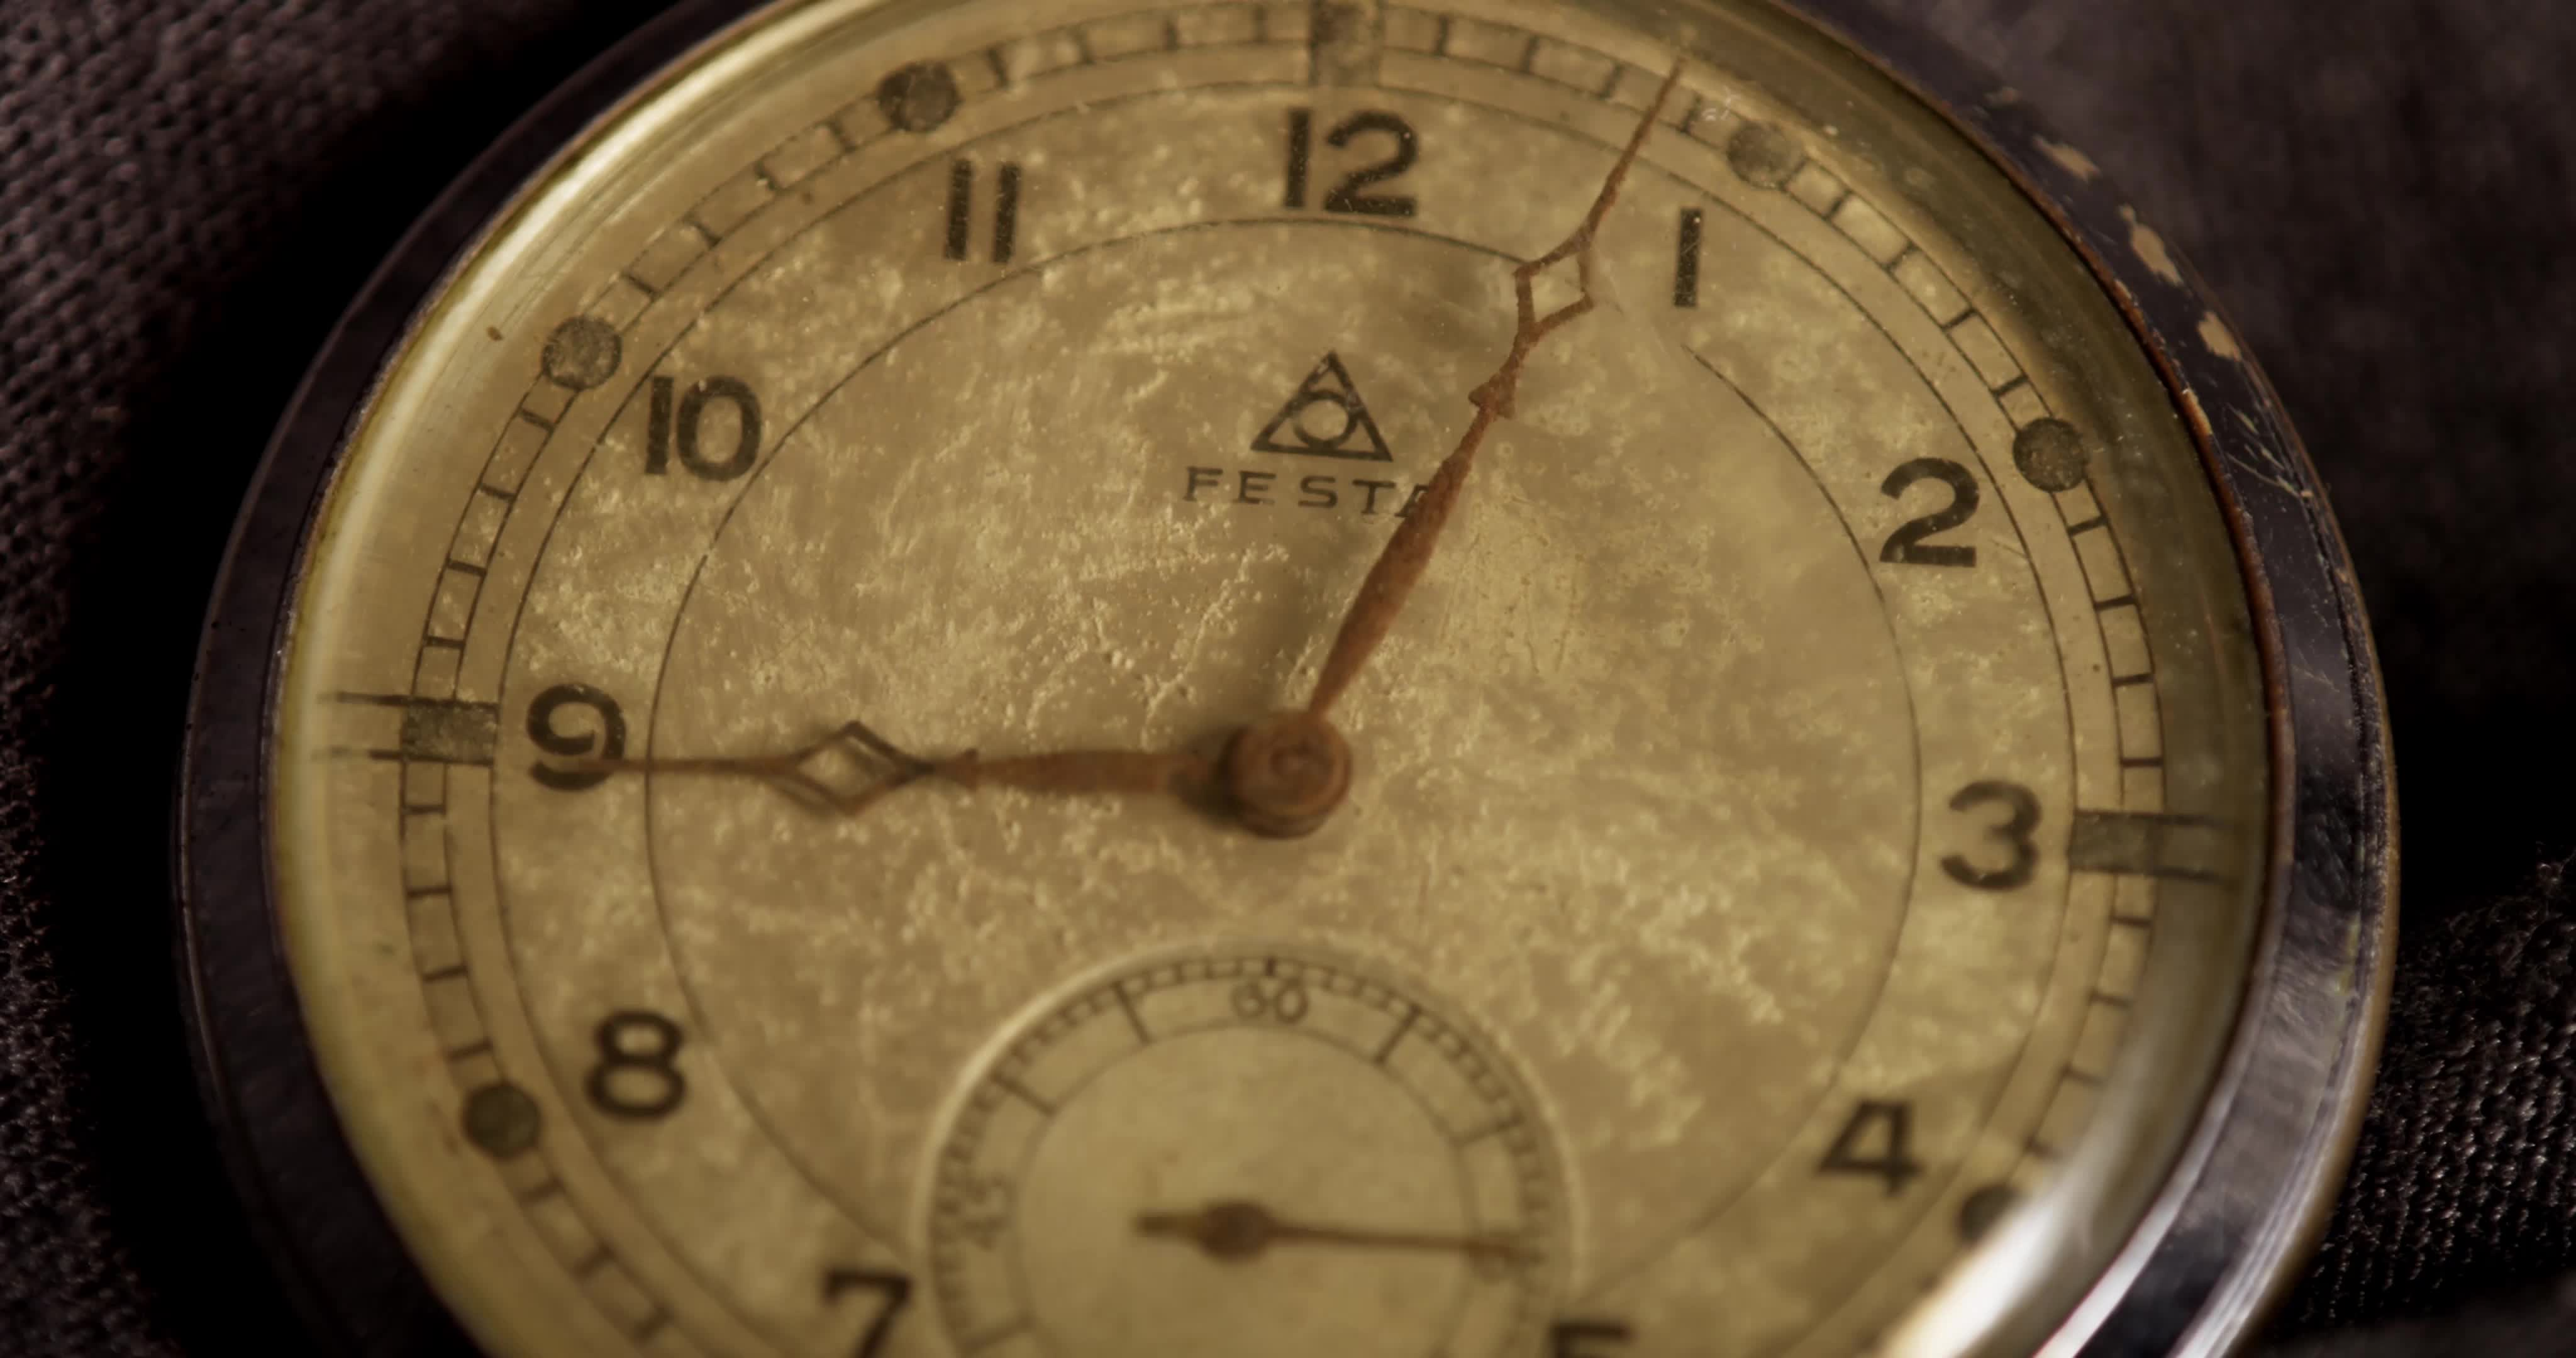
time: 12:44
